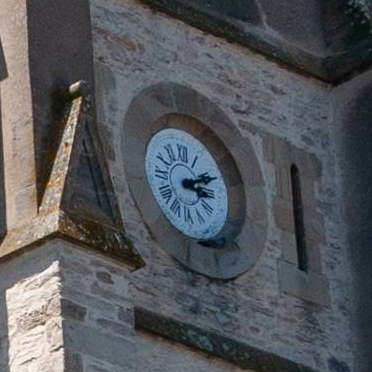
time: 3:11
